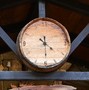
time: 4:29
